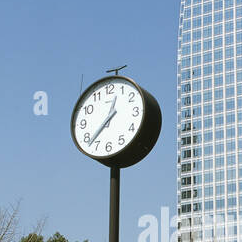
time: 12:37
